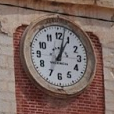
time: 1:02
